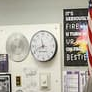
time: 11:41
